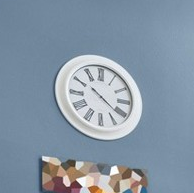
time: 10:20
